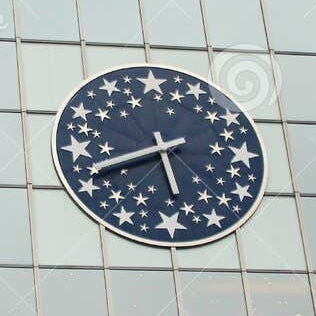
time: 5:41
